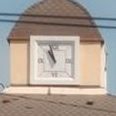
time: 10:57
